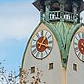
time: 1:18
